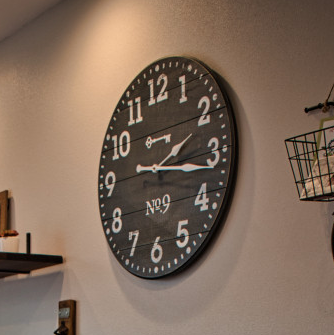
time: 2:16
